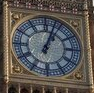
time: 1:03
